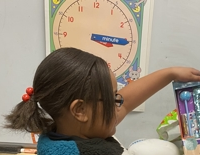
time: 3:15
